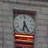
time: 6:25
